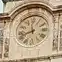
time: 11:41
